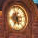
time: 5:35
